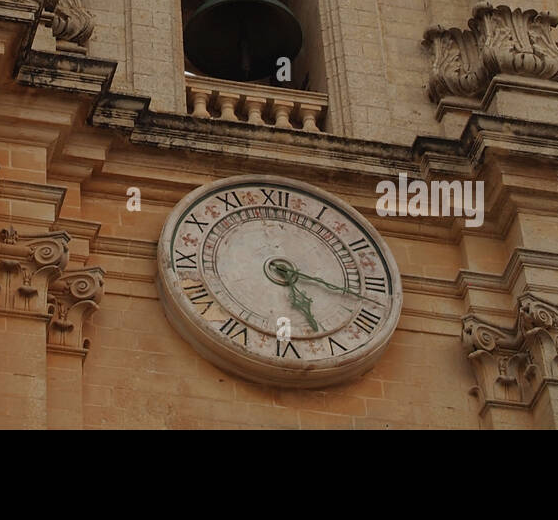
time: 5:17
